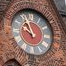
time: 9:56
